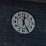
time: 12:24
